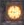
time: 9:12
